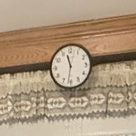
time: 11:31
